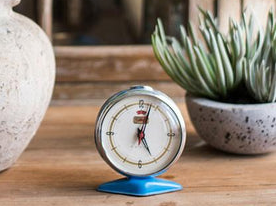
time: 5:03
